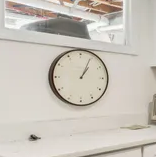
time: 1:04
